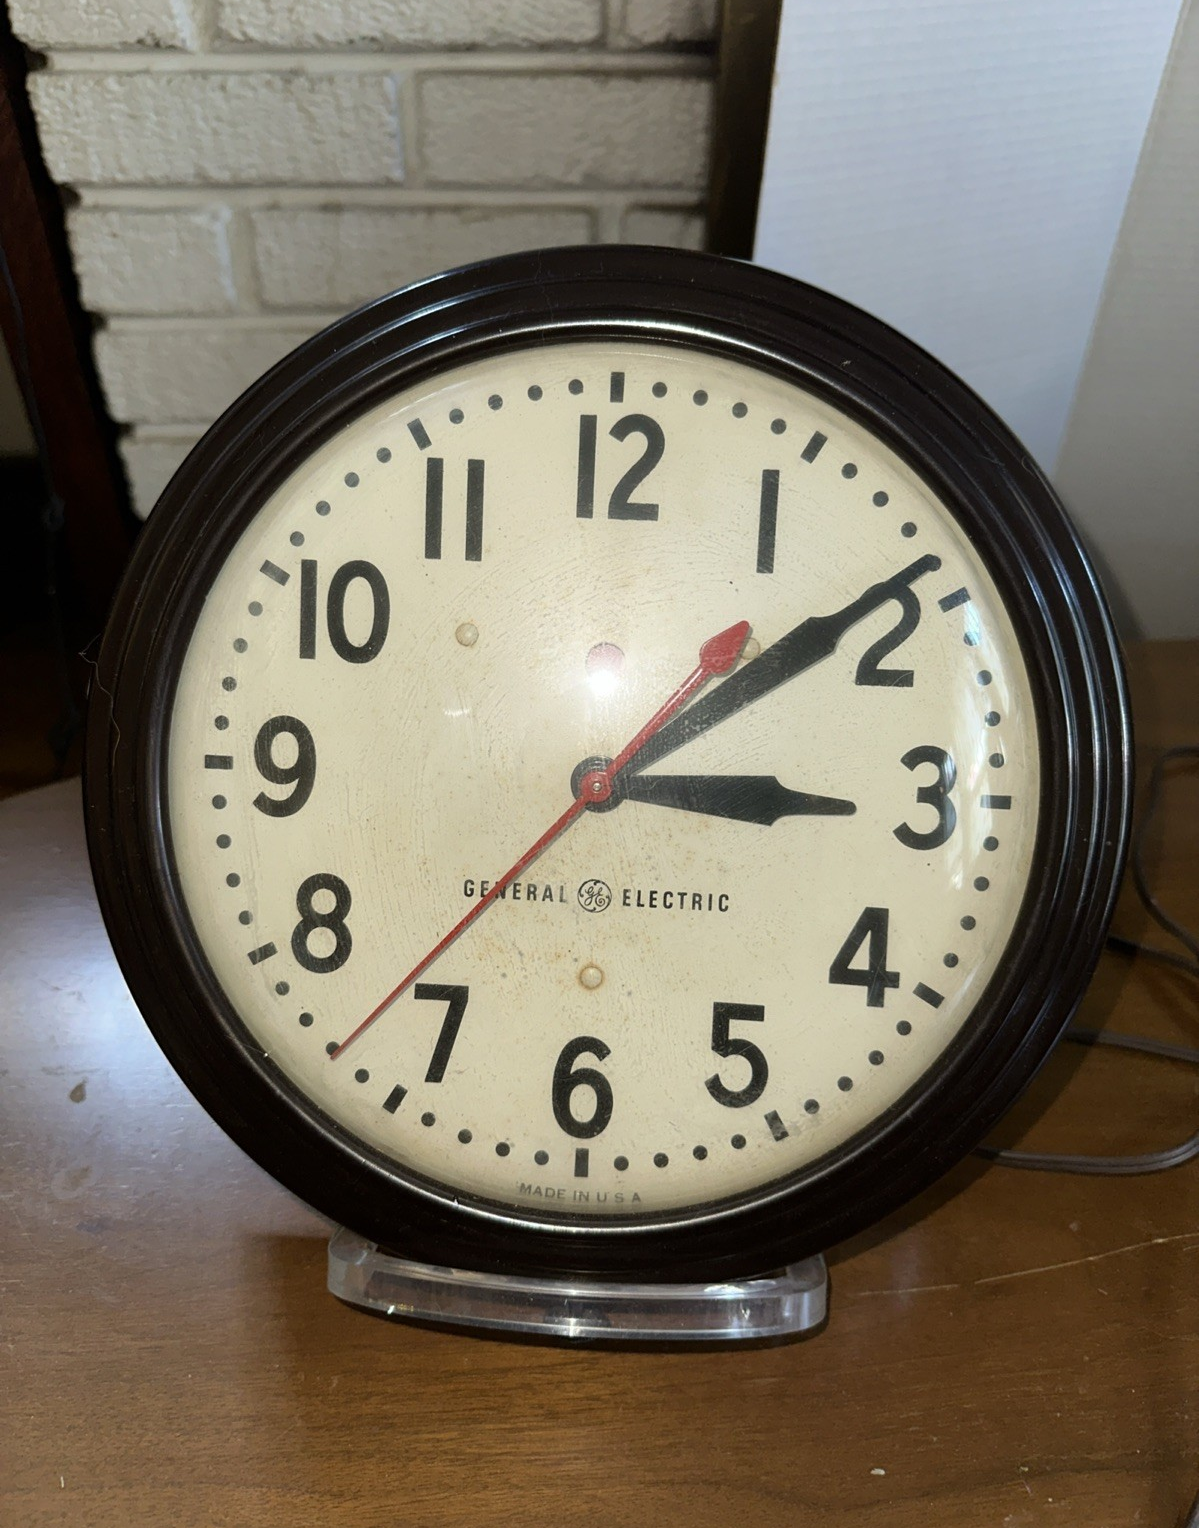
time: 3:08
